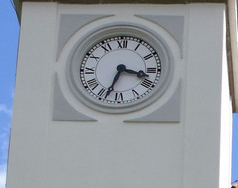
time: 3:33
